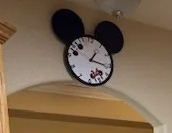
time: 1:16
